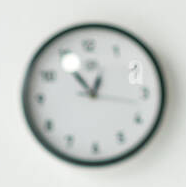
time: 12:54
